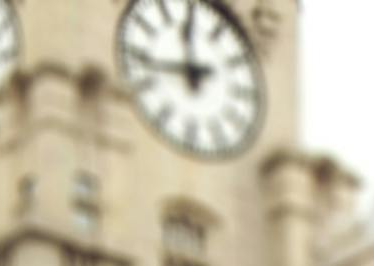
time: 11:42
